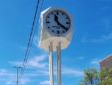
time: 11:21
